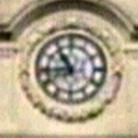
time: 10:43
